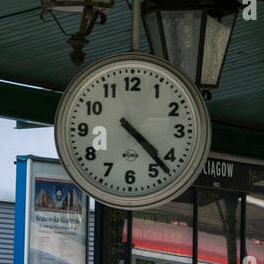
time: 4:22
